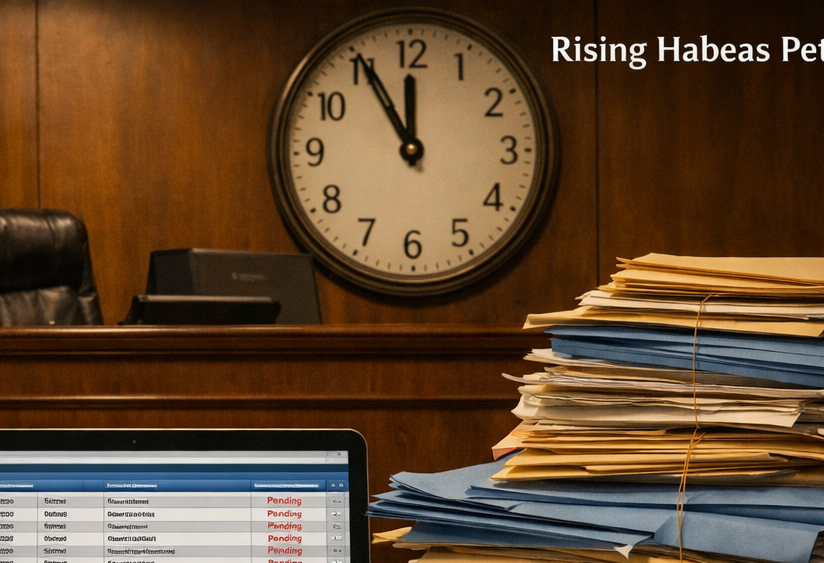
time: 11:55
